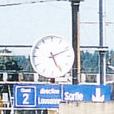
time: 5:11
